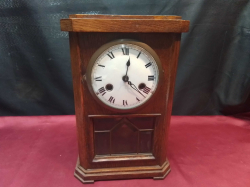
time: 12:21
